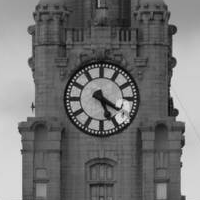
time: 5:20
